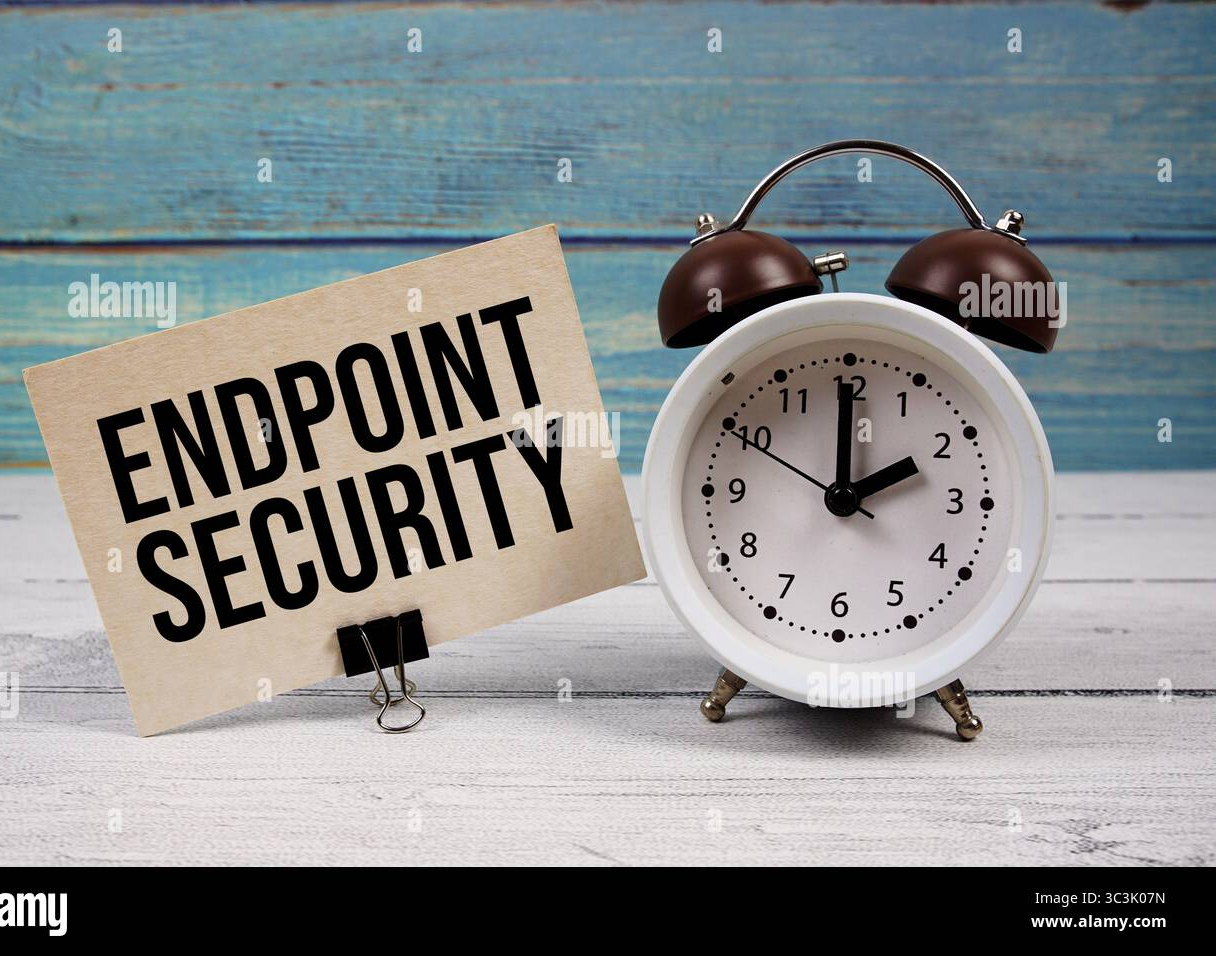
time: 2:00
